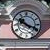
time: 10:18
